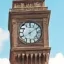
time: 8:09
